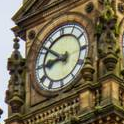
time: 8:51
